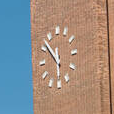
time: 5:51
